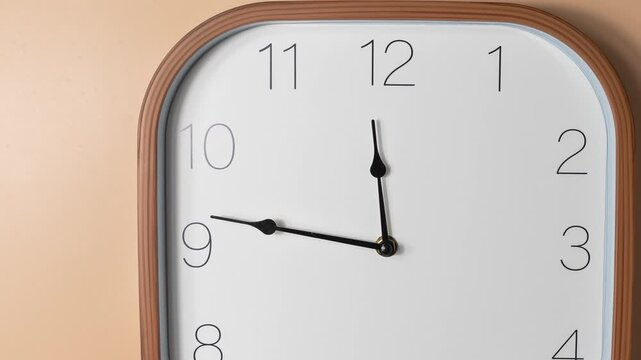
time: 11:46
